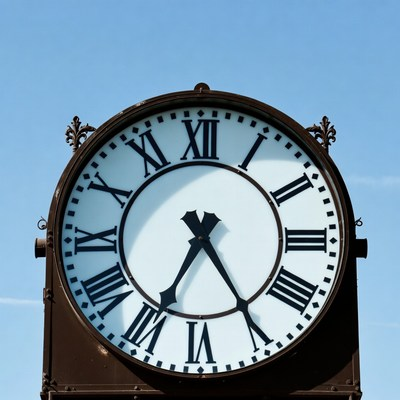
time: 4:34
